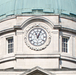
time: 11:04
